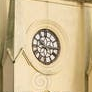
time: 10:15
